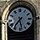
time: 5:36
